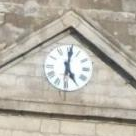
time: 5:00
